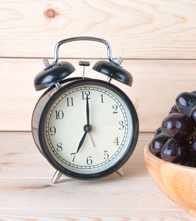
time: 7:00
